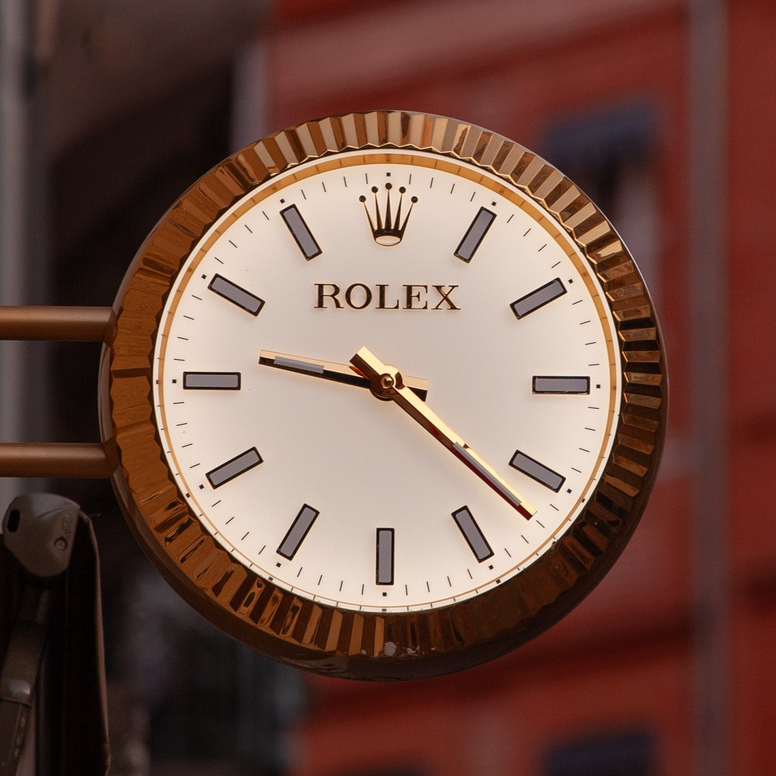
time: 9:21
